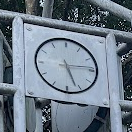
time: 5:14
